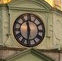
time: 11:31
